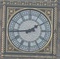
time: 1:44
